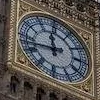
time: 11:42
